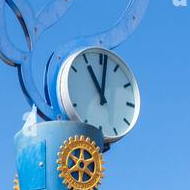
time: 11:01
